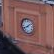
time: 8:09
